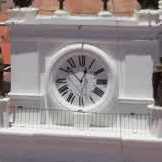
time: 12:52
